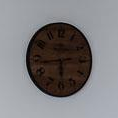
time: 5:43
